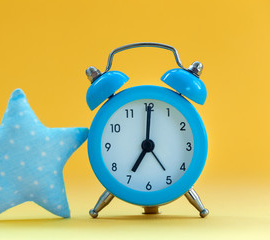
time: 7:00
